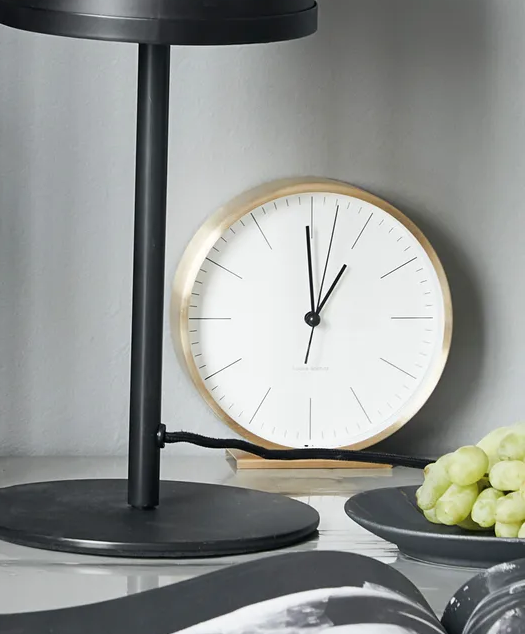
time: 12:59
